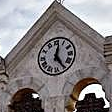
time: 12:24
